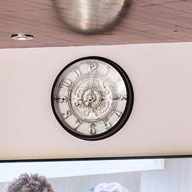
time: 8:01
